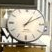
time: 1:09
